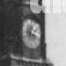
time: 12:18
